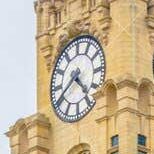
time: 4:40
